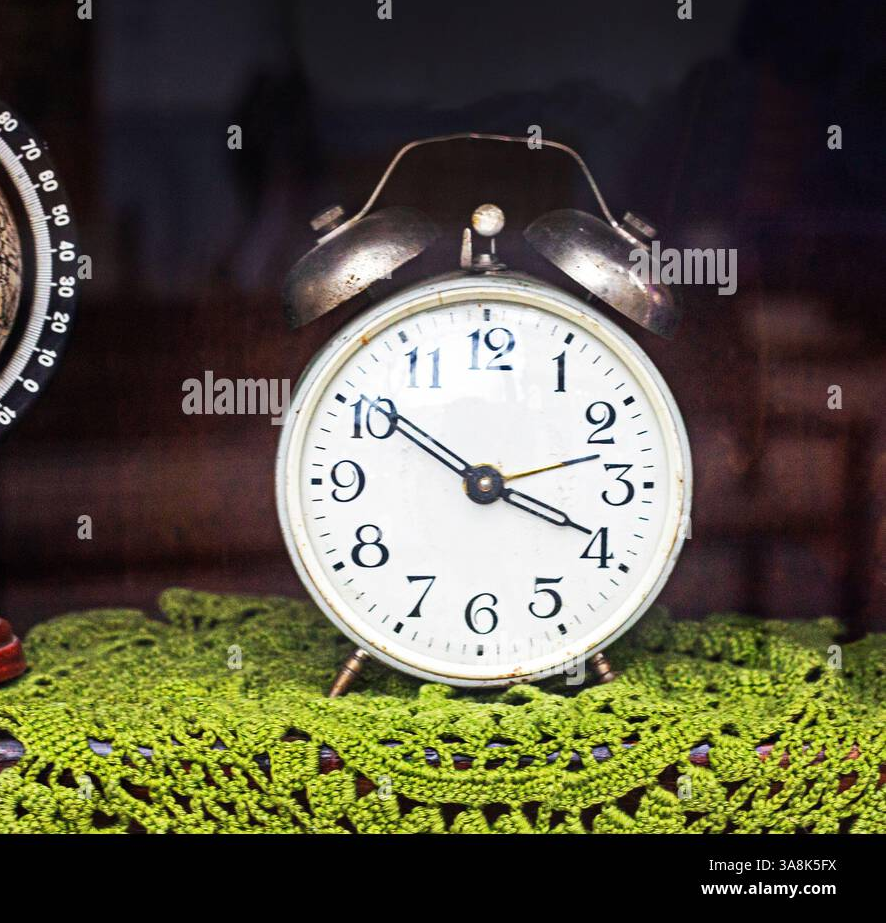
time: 3:50
